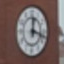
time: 12:18
